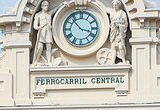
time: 3:53
